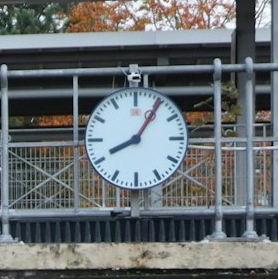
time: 8:05
